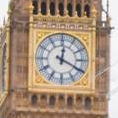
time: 12:19
